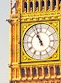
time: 10:56
